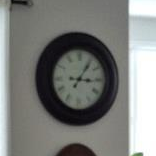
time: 3:05
